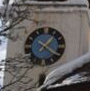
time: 1:20
